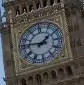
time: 1:46
